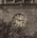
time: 2:48
